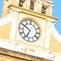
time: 6:50
